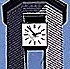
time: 2:53
